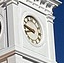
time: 8:47
